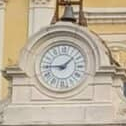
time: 1:45
